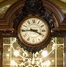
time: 3:44
